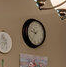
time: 9:36
